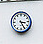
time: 3:25
